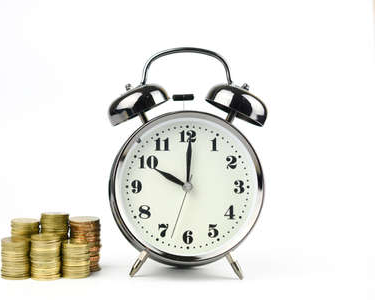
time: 10:00
